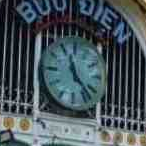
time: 11:22
